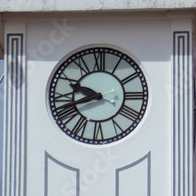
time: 9:41
